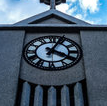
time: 4:04
